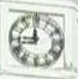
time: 11:44
